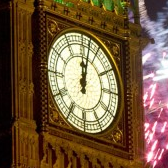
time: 12:02
